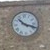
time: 10:18
